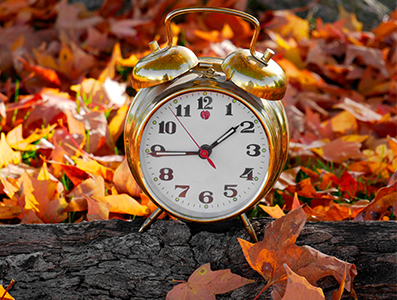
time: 1:44
